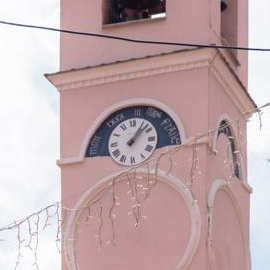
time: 1:07
